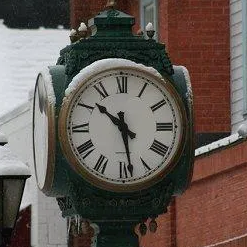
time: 10:28
